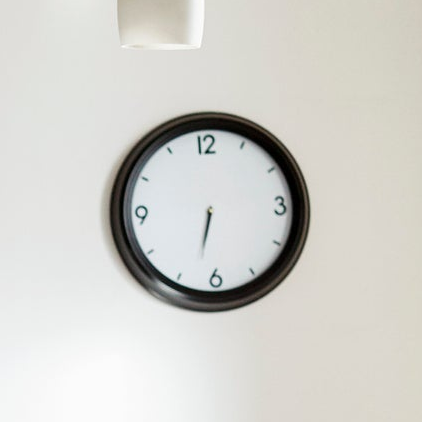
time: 6:32
